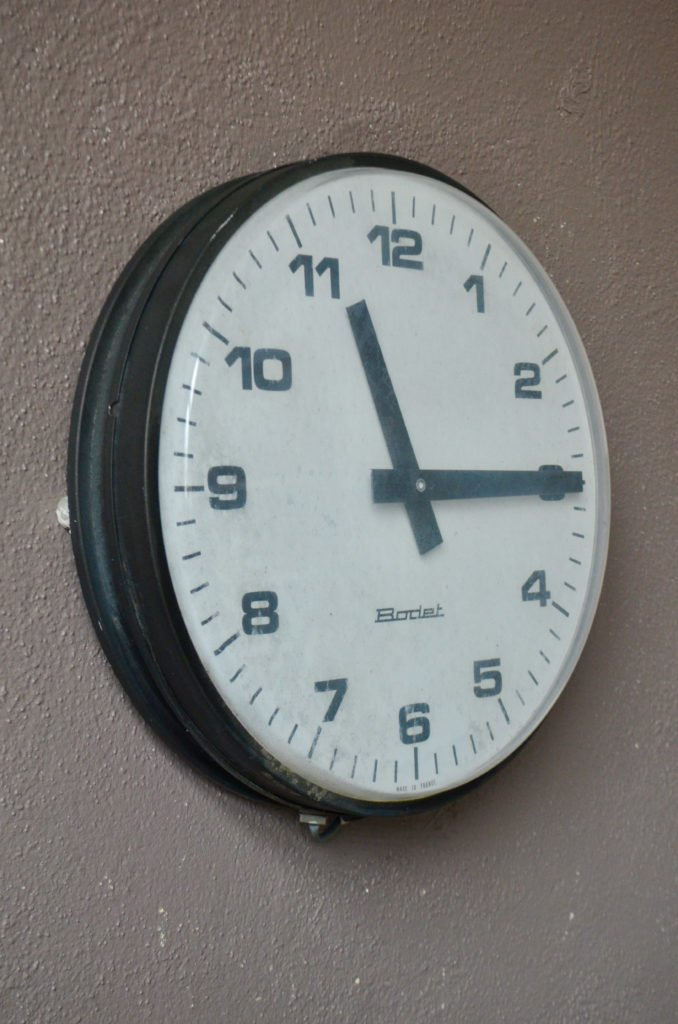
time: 11:14
